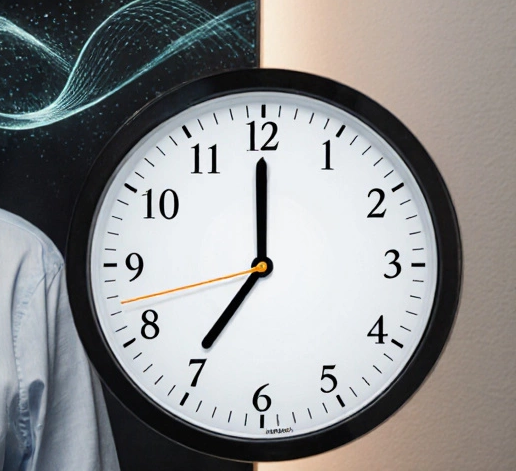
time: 6:59
